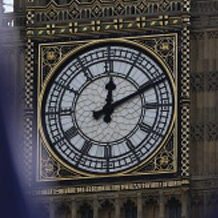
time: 12:10
